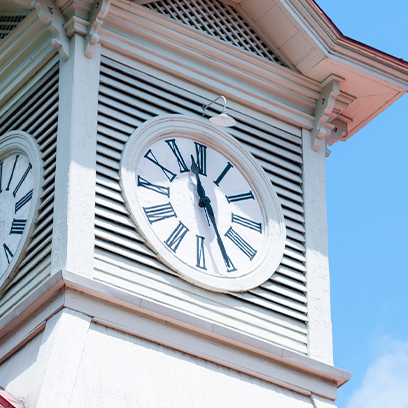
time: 11:25
